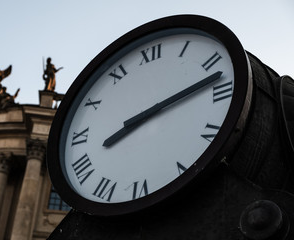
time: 8:12
